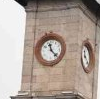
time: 11:22
